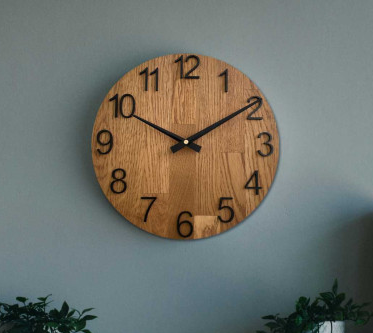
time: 1:49
